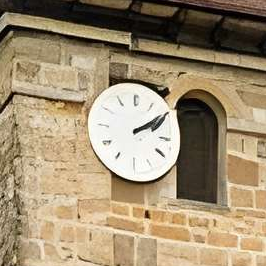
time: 2:09
